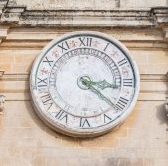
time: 3:21
